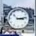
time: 3:13
